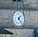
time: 1:23
